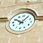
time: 10:05
